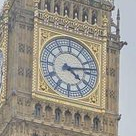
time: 4:13
